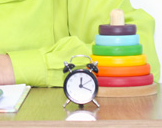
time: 12:18
